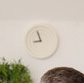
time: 8:56
